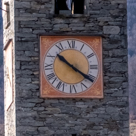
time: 10:20
